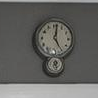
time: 5:01
